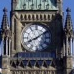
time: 8:09
